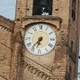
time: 6:36
